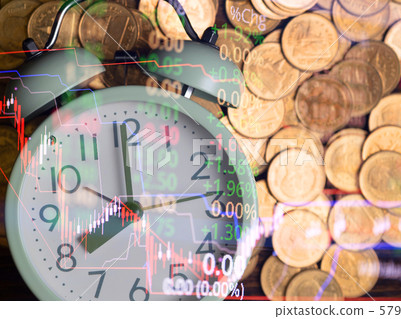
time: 7:59
